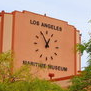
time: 12:55
